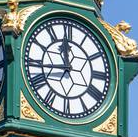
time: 11:43
